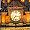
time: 7:17
